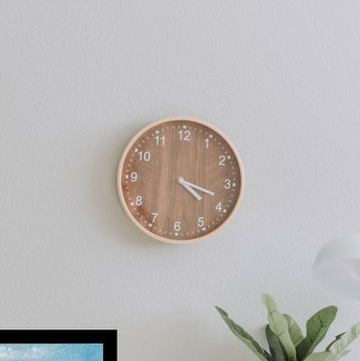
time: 4:18
